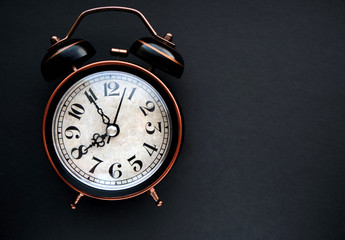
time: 7:54
